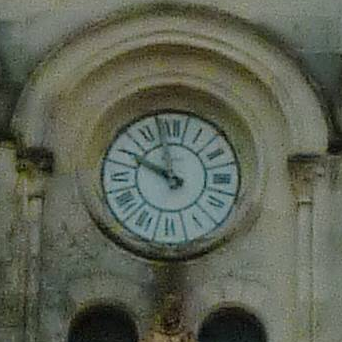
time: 9:57
